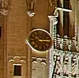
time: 10:14
